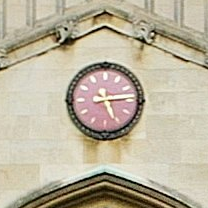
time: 5:14
